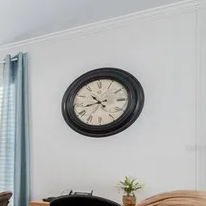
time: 10:42
